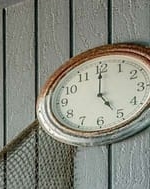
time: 5:00
